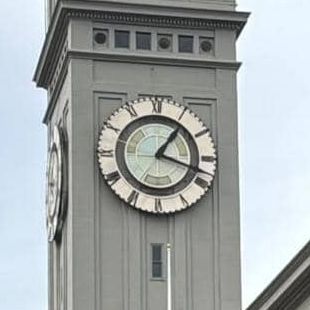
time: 1:18
